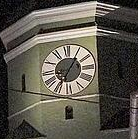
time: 7:05
